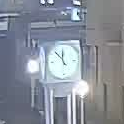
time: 11:52
